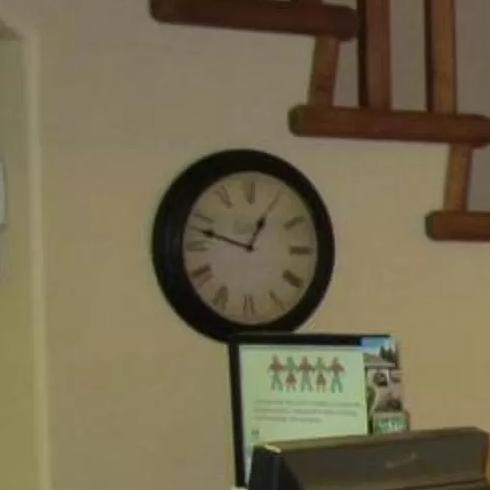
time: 12:47
